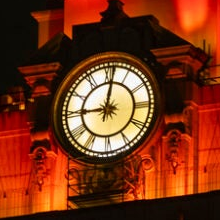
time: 9:01
